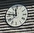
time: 11:46
